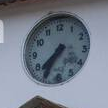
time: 7:35
